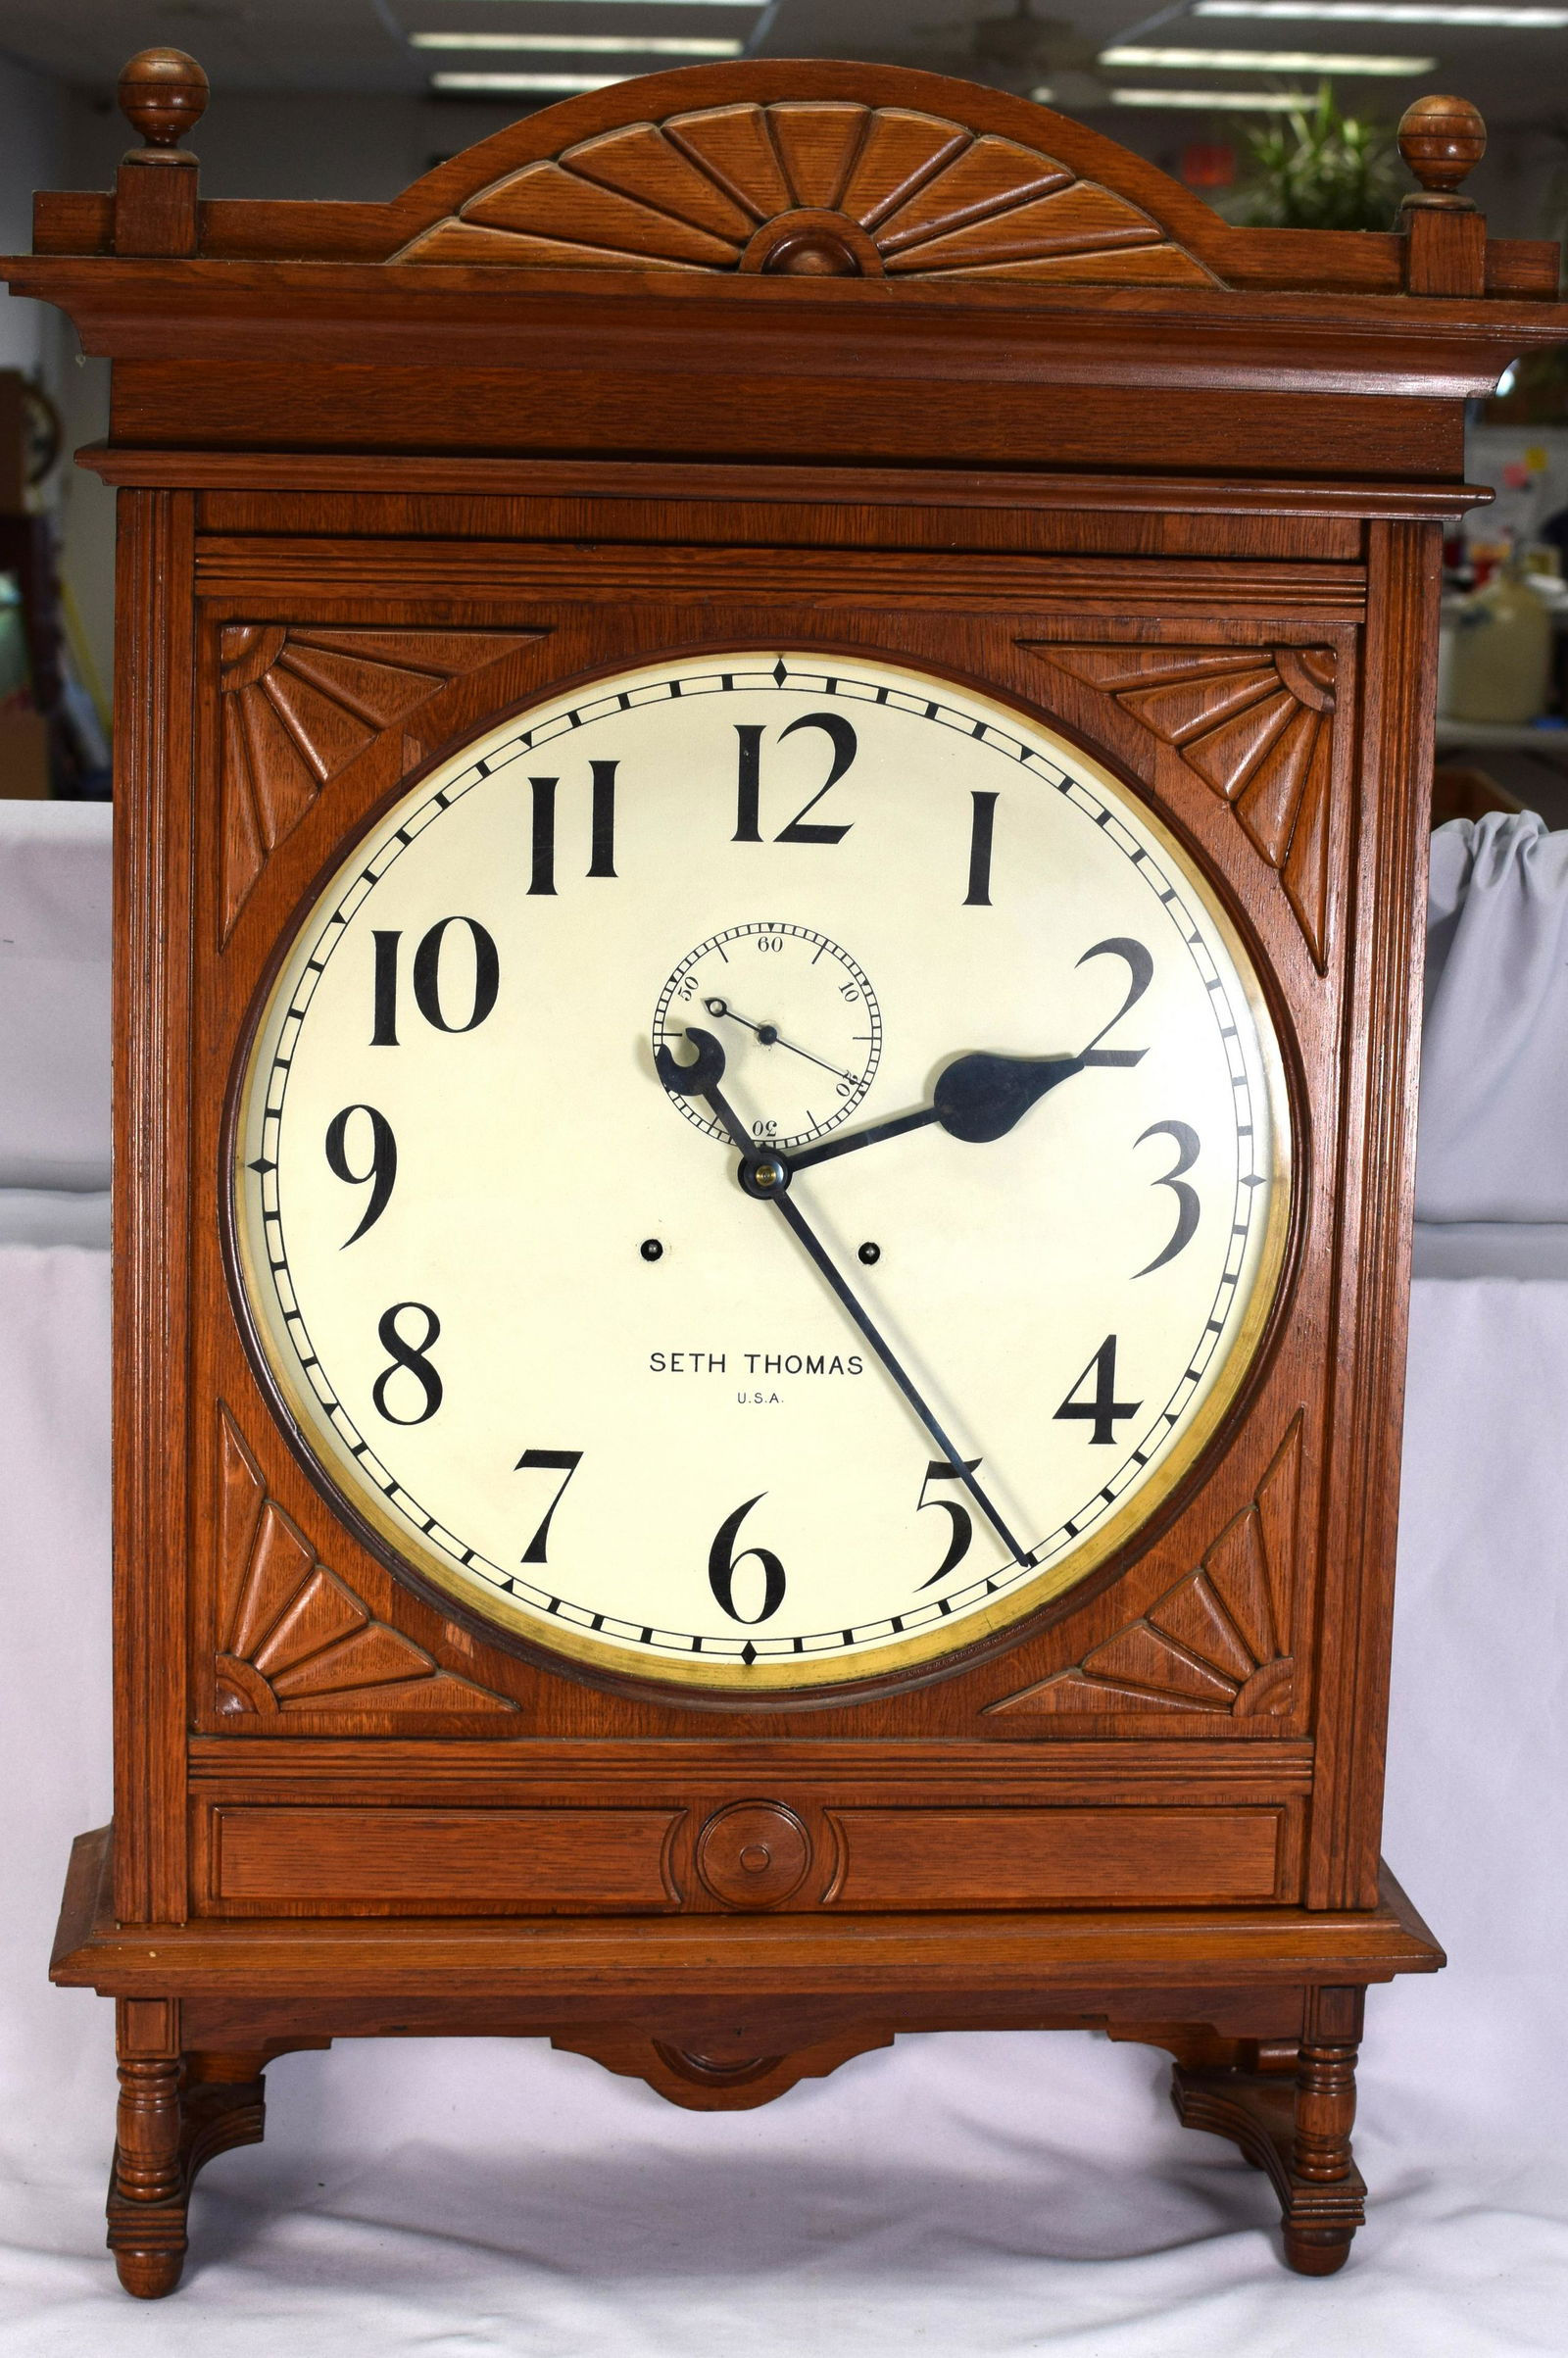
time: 2:23
